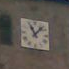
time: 11:07
